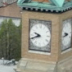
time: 9:42
